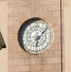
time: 6:08
